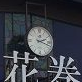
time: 2:18
